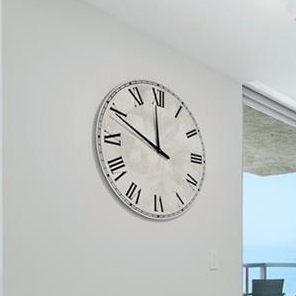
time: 11:49
